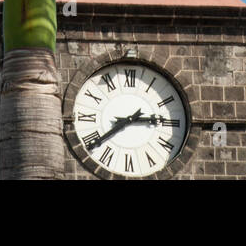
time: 2:38
